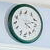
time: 4:12
